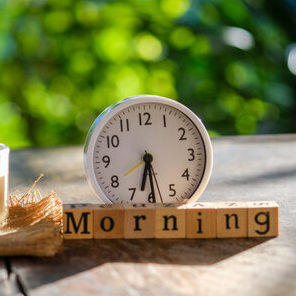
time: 6:29
